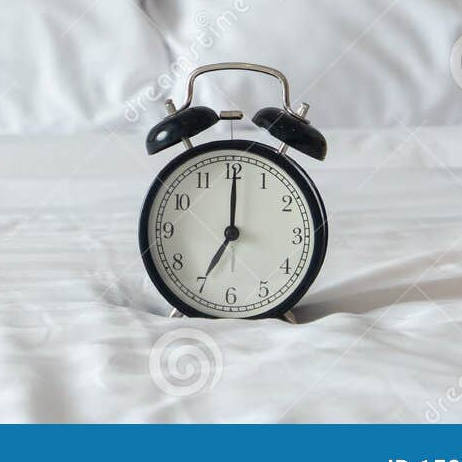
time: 7:00
